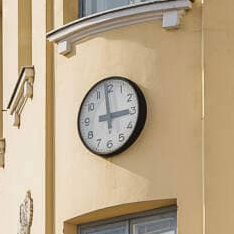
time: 2:58
